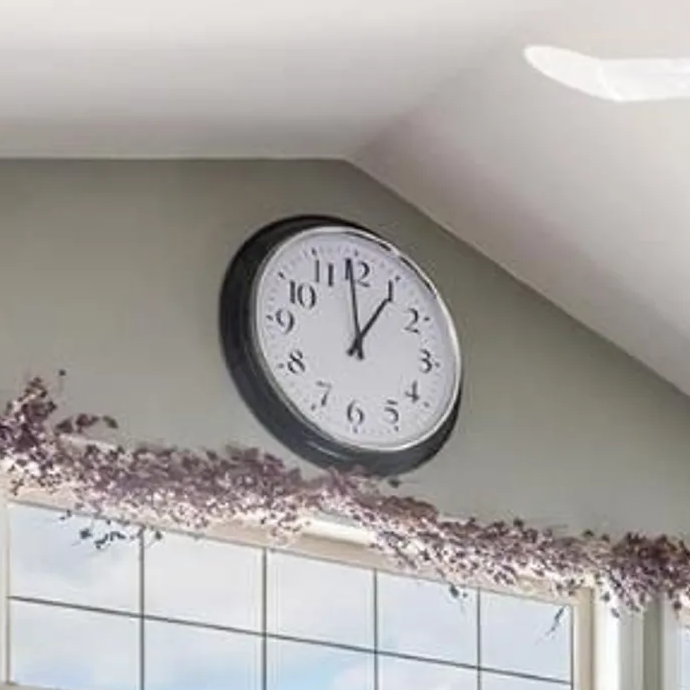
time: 12:59
